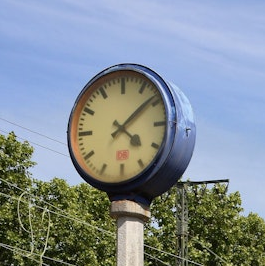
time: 4:08
